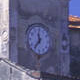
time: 11:36
